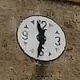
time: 11:32
